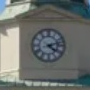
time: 4:12
